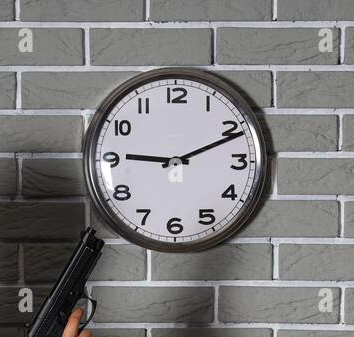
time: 9:11
